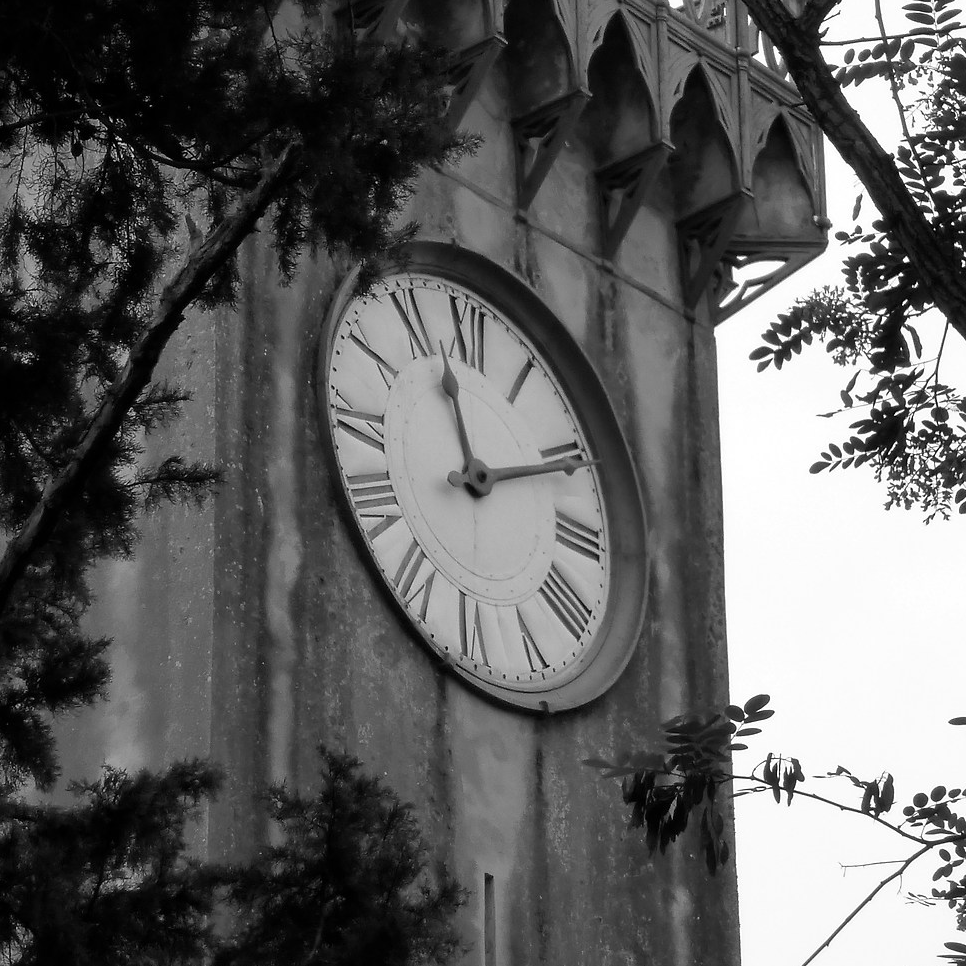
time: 11:10
